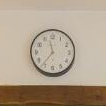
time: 11:36
